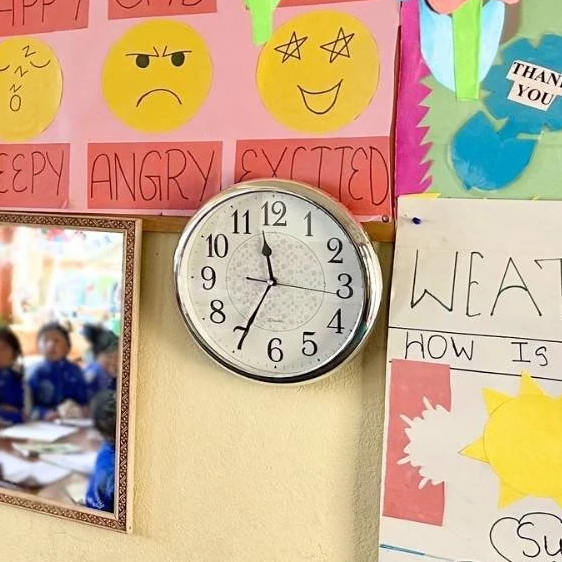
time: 11:34
